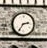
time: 2:36
